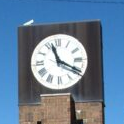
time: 11:19
